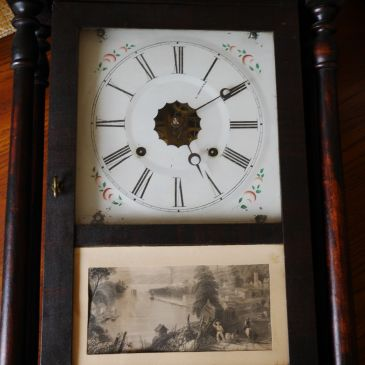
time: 4:10
